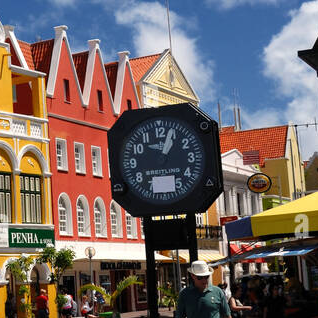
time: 1:03
